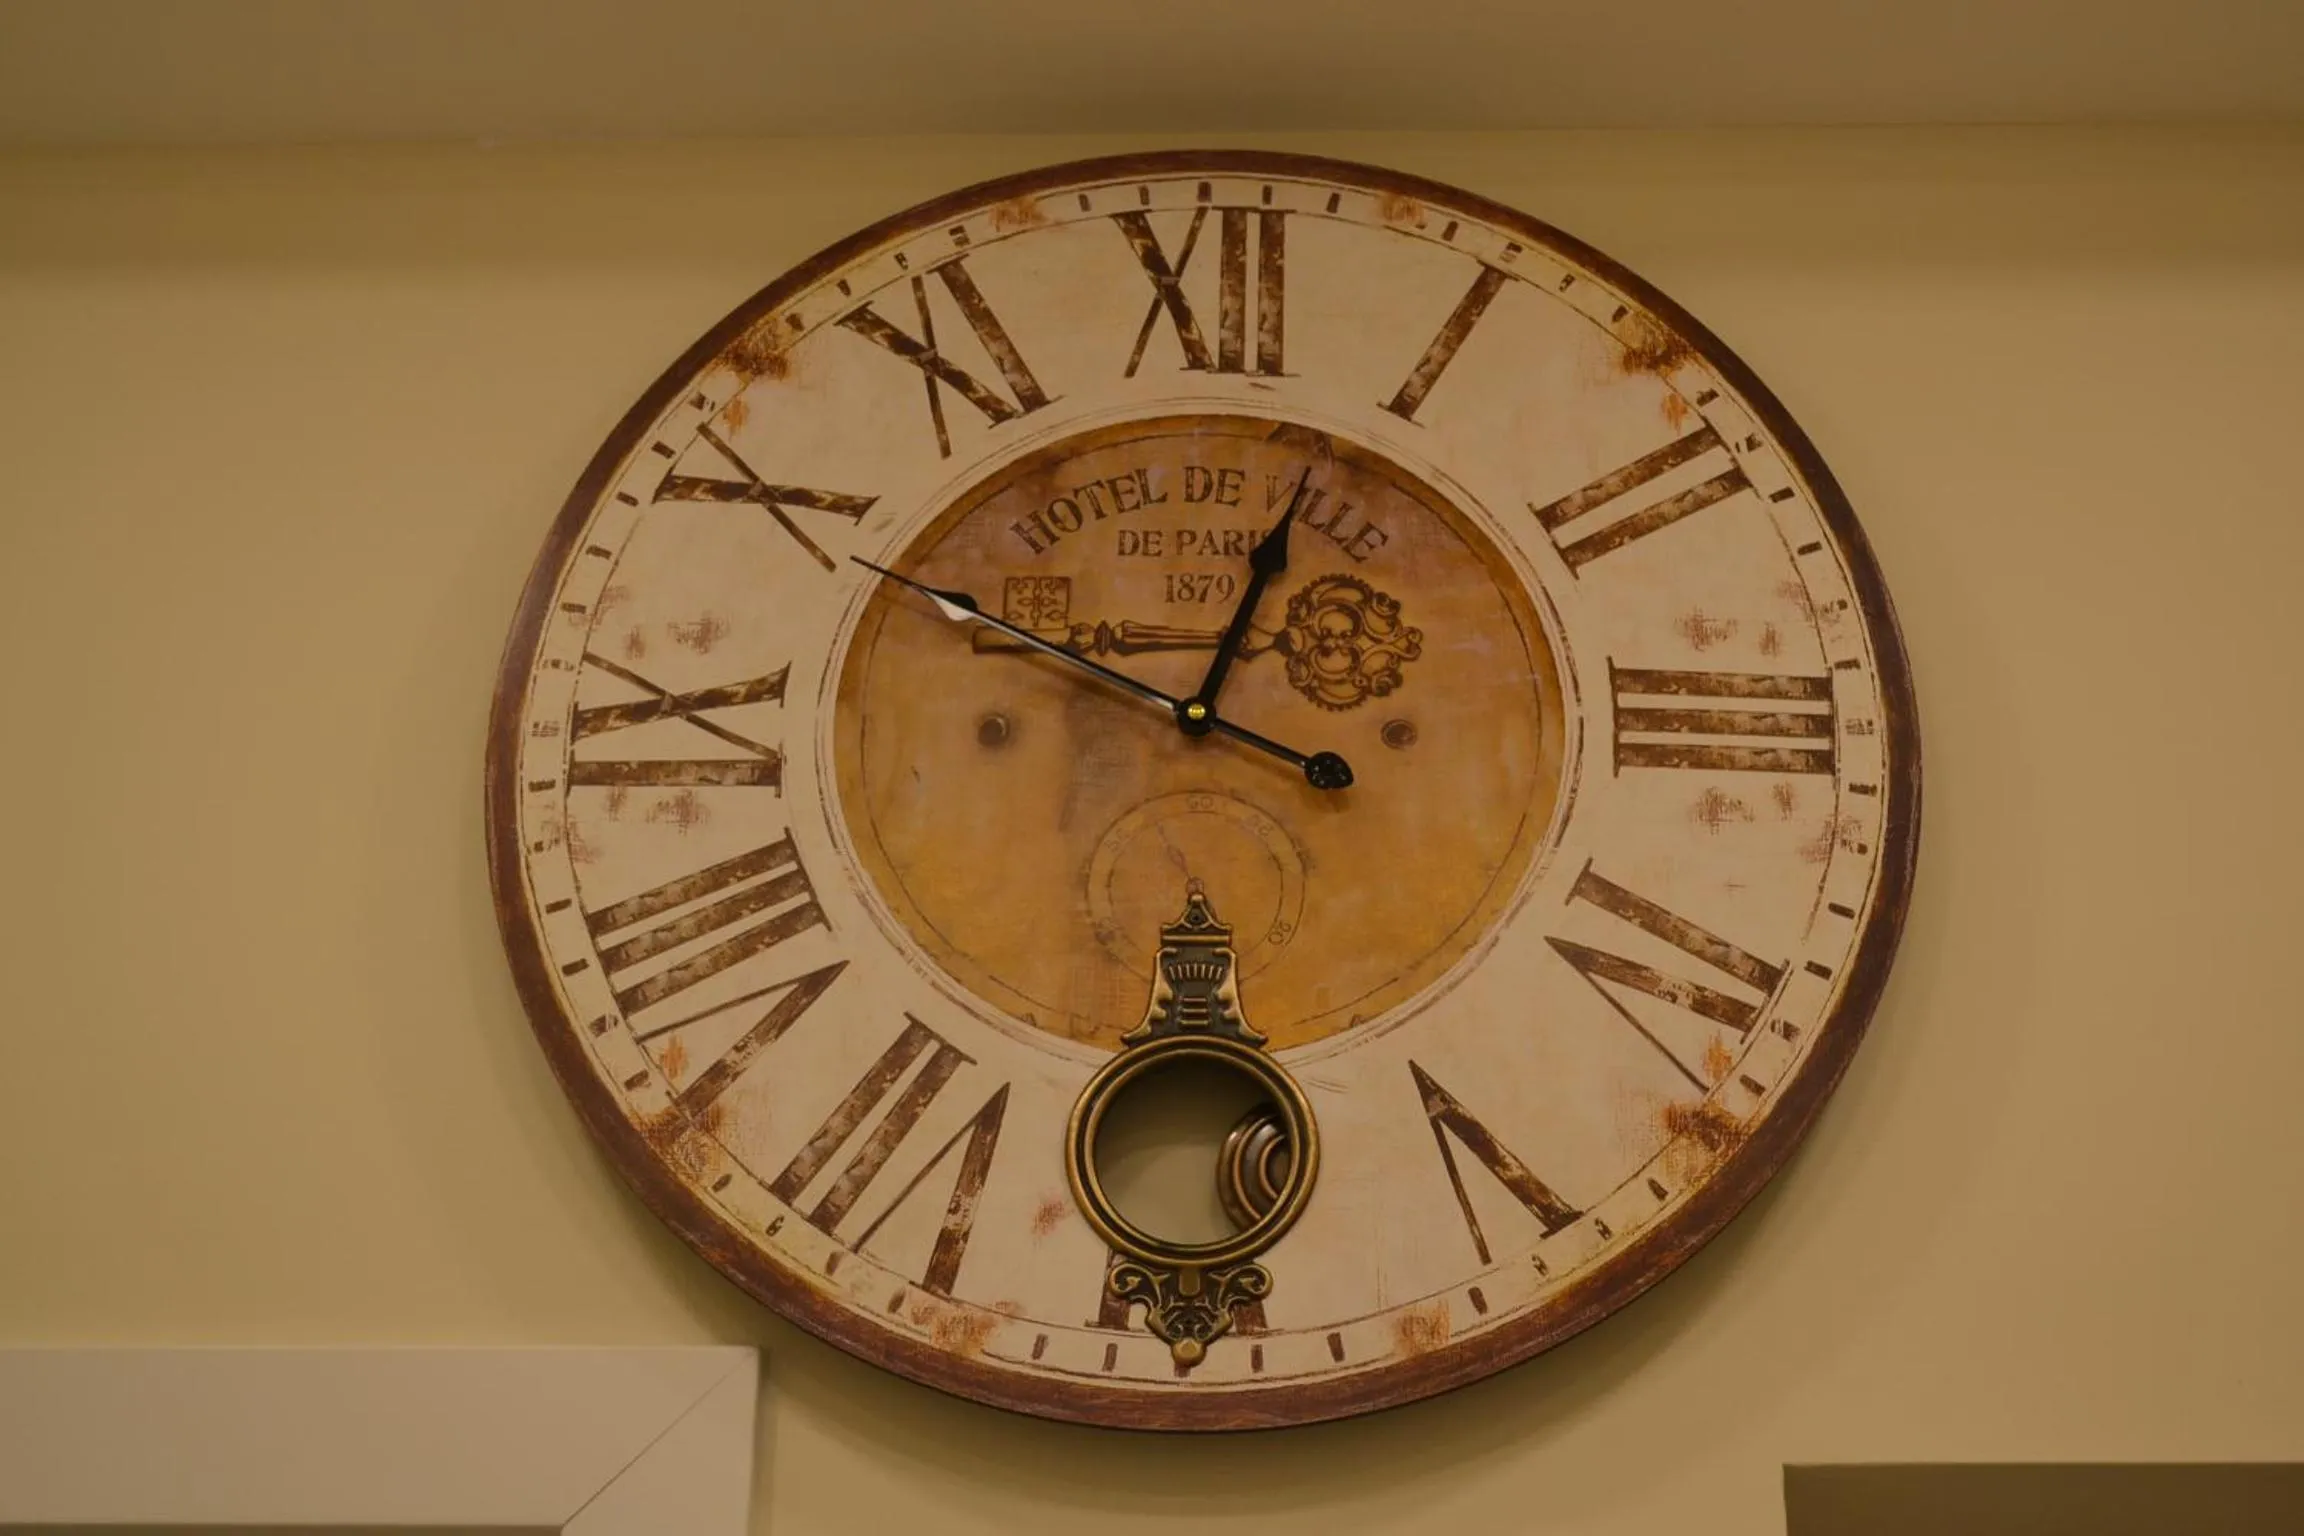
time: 12:49
